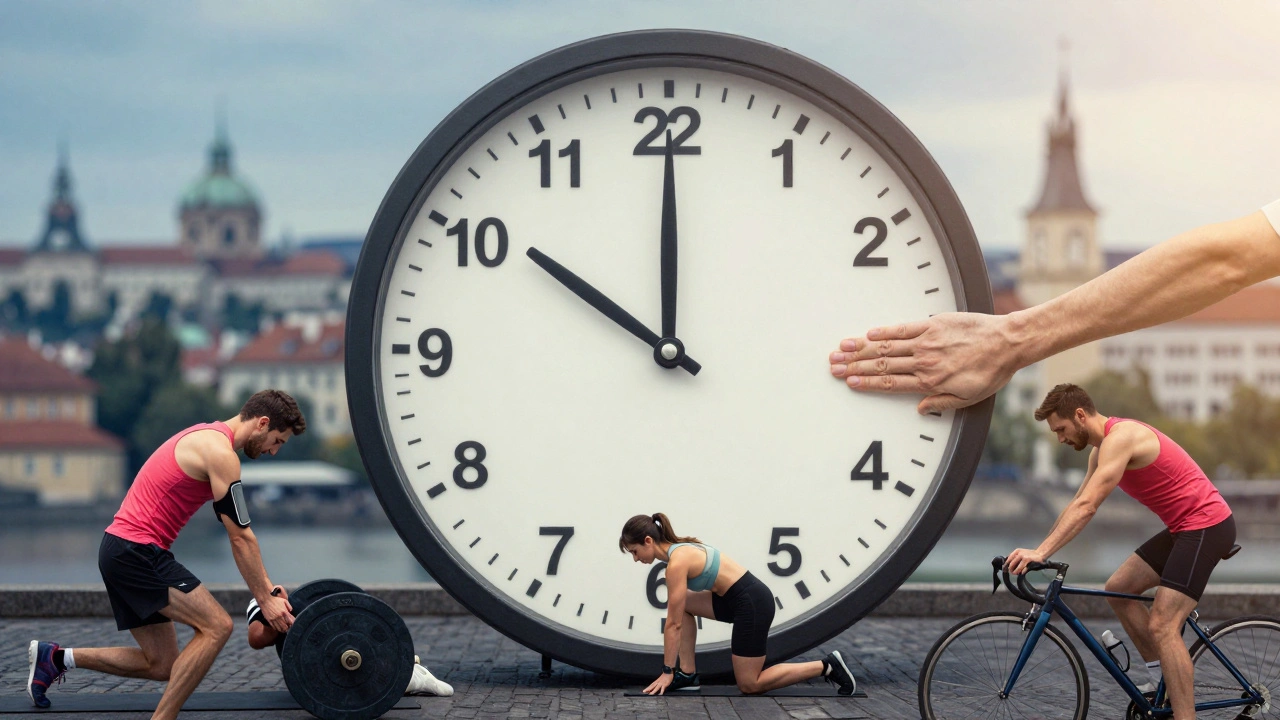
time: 10:00
